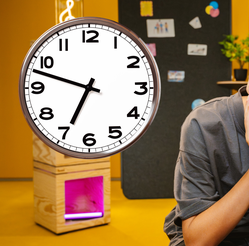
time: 6:47
